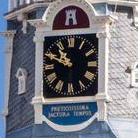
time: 10:49
